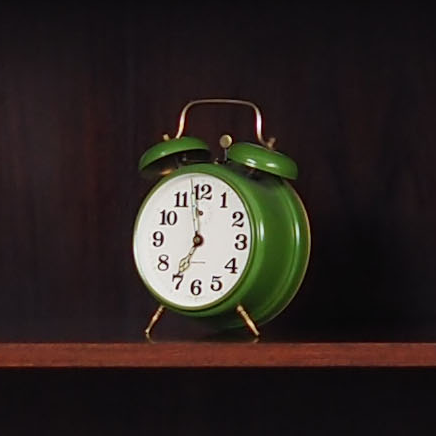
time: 6:58
